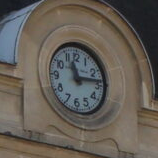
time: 11:13
